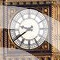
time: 9:39
